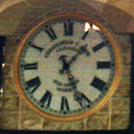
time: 1:26
